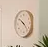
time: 10:22
